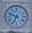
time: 6:48
